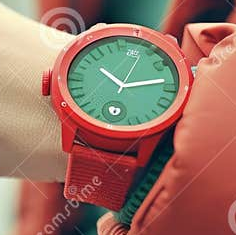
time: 10:13
